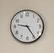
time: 9:24
